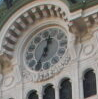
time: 12:34
